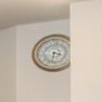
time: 3:32
